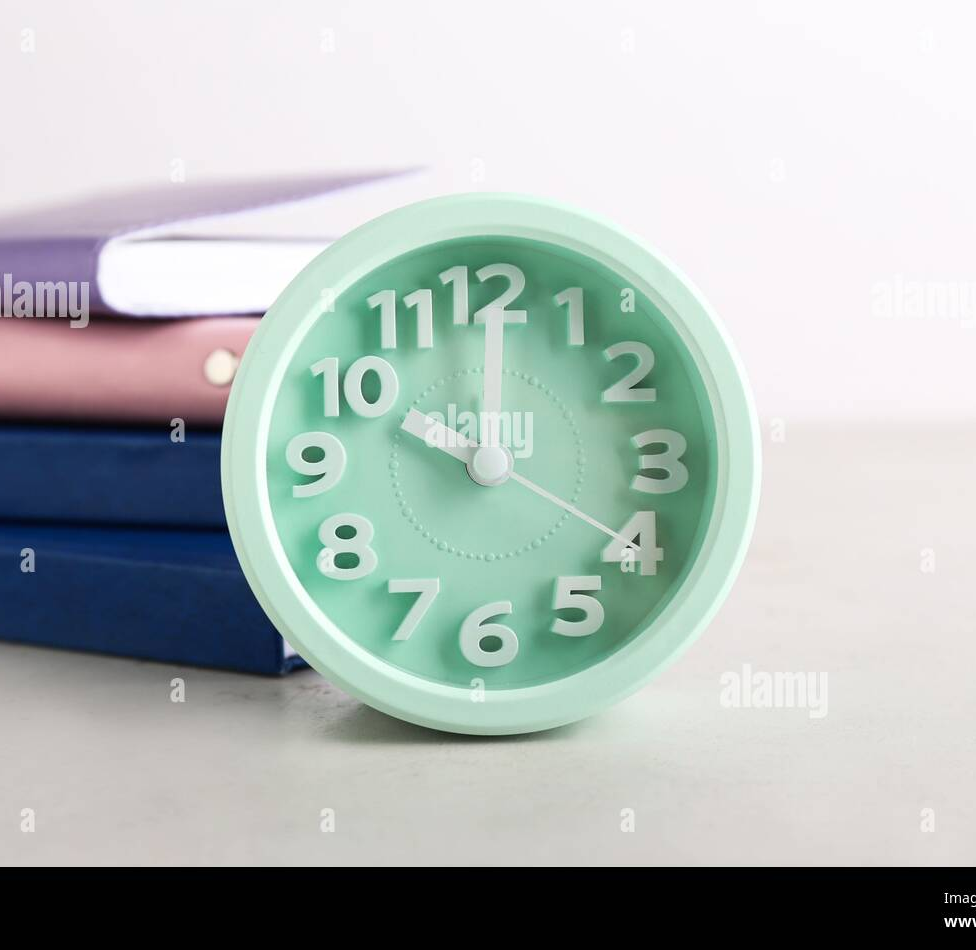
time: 10:00
